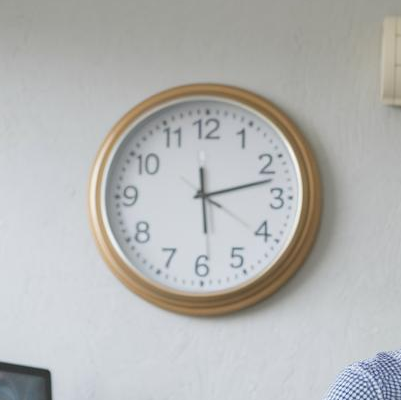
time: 12:12
